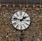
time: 1:46
